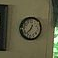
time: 12:36
